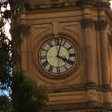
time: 4:02
